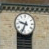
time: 9:34
